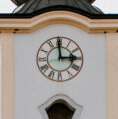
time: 2:59
